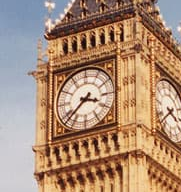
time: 3:37
